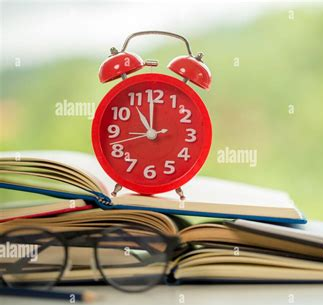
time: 10:59
